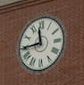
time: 11:44
